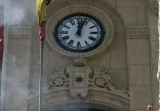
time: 12:02
